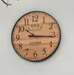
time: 10:15
